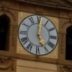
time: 5:00
